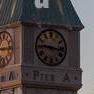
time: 9:16
